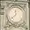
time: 11:37
